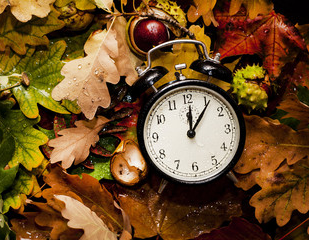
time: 12:05
